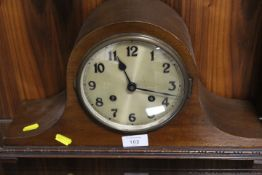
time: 11:17
